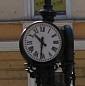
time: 10:31
